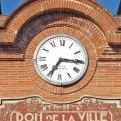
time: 7:15
